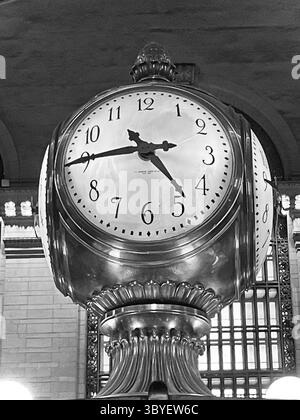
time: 4:45
